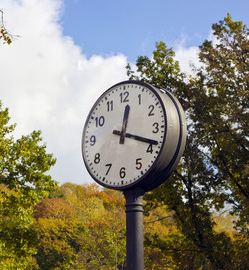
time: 12:18
